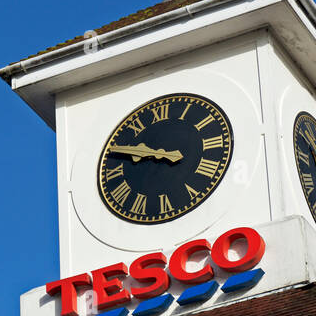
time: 9:49
